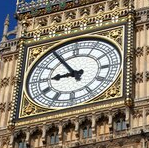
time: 8:54
